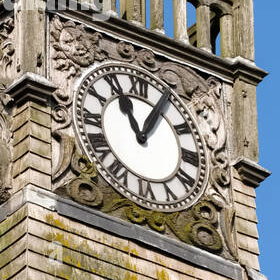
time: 11:05
